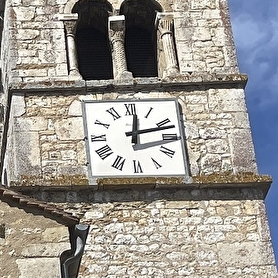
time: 12:12
